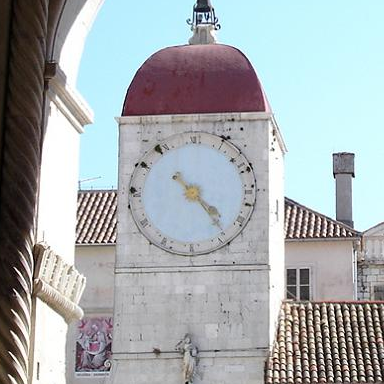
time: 4:23
